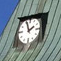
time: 1:56
